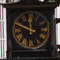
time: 11:48
